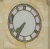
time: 7:35
